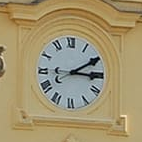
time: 3:10
